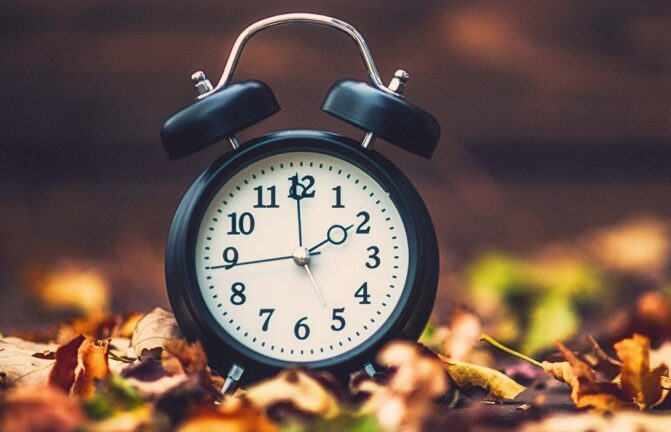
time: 1:59
